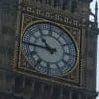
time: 10:45
